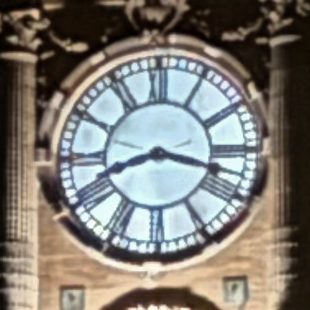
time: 8:17
